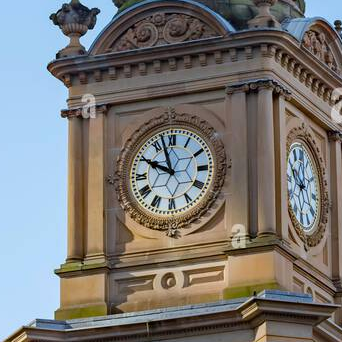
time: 9:57
